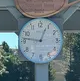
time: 12:46
